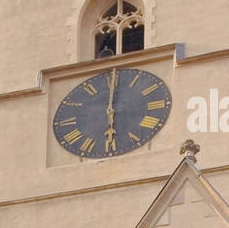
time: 6:00
